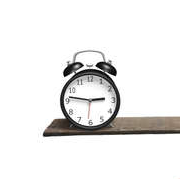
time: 2:46
